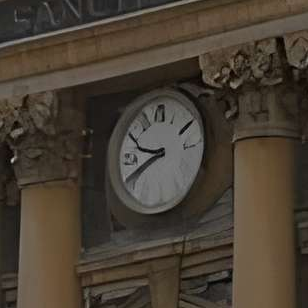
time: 9:41
